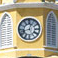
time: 12:42
